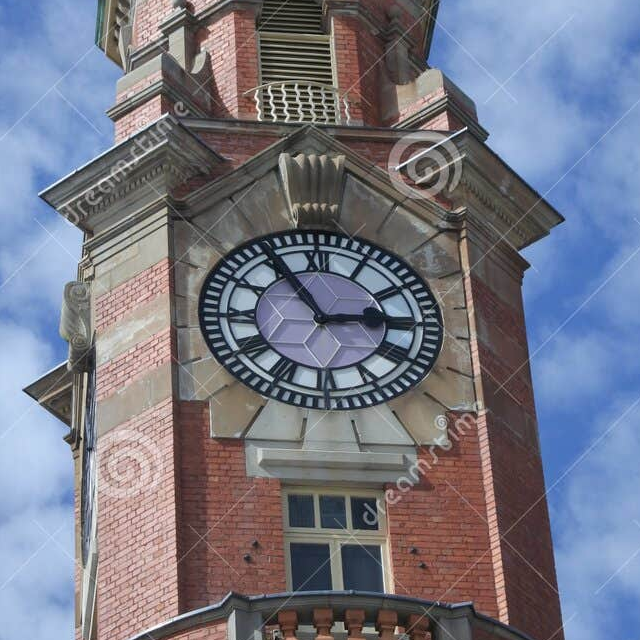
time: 2:54
